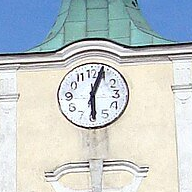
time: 6:03
